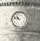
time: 10:47
